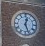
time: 12:26
